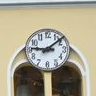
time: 9:08
